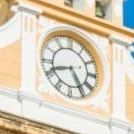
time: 8:24
